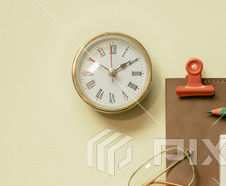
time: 2:09
